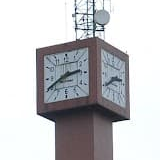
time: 2:40
